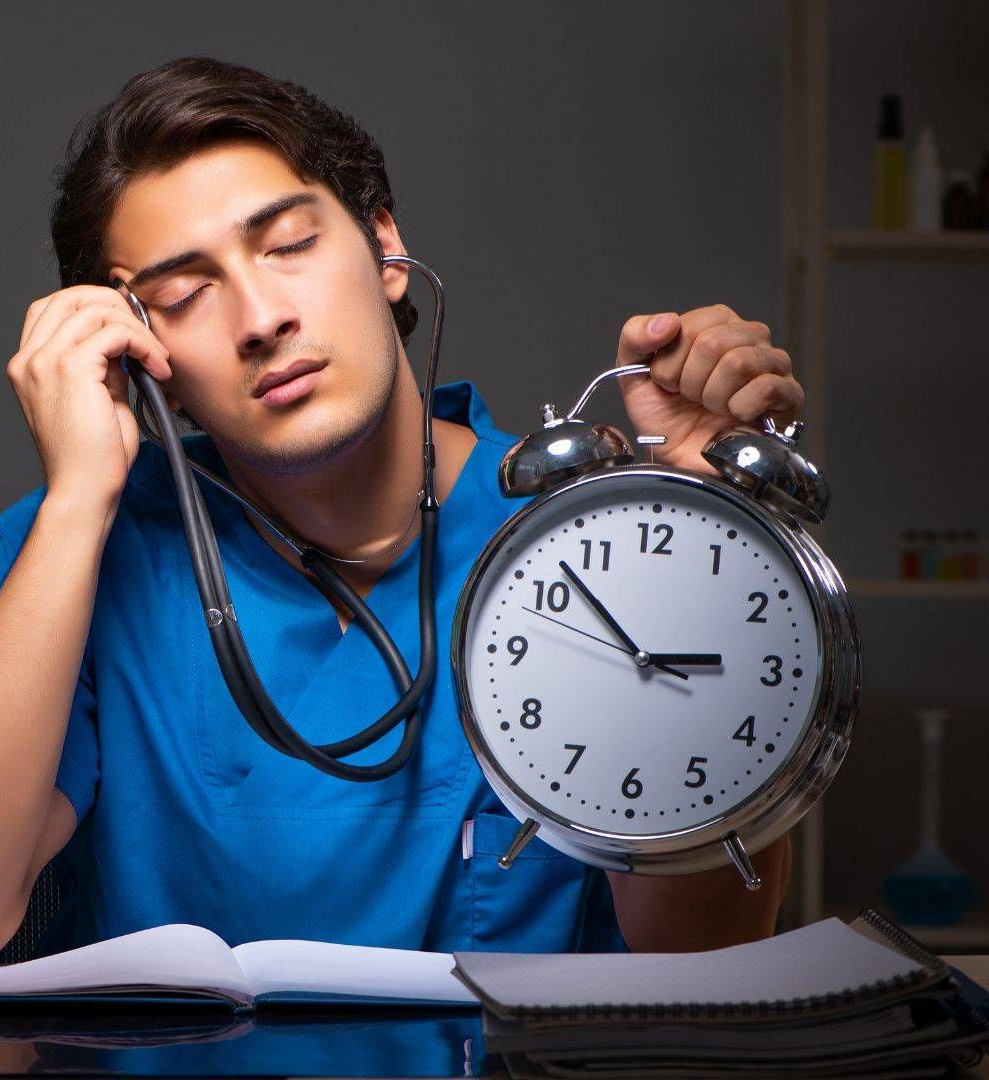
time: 2:52
